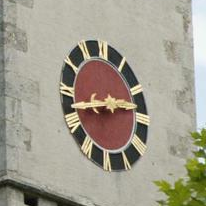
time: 2:42
